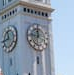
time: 11:46
